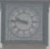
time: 9:45
